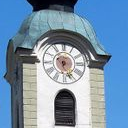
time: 6:26
